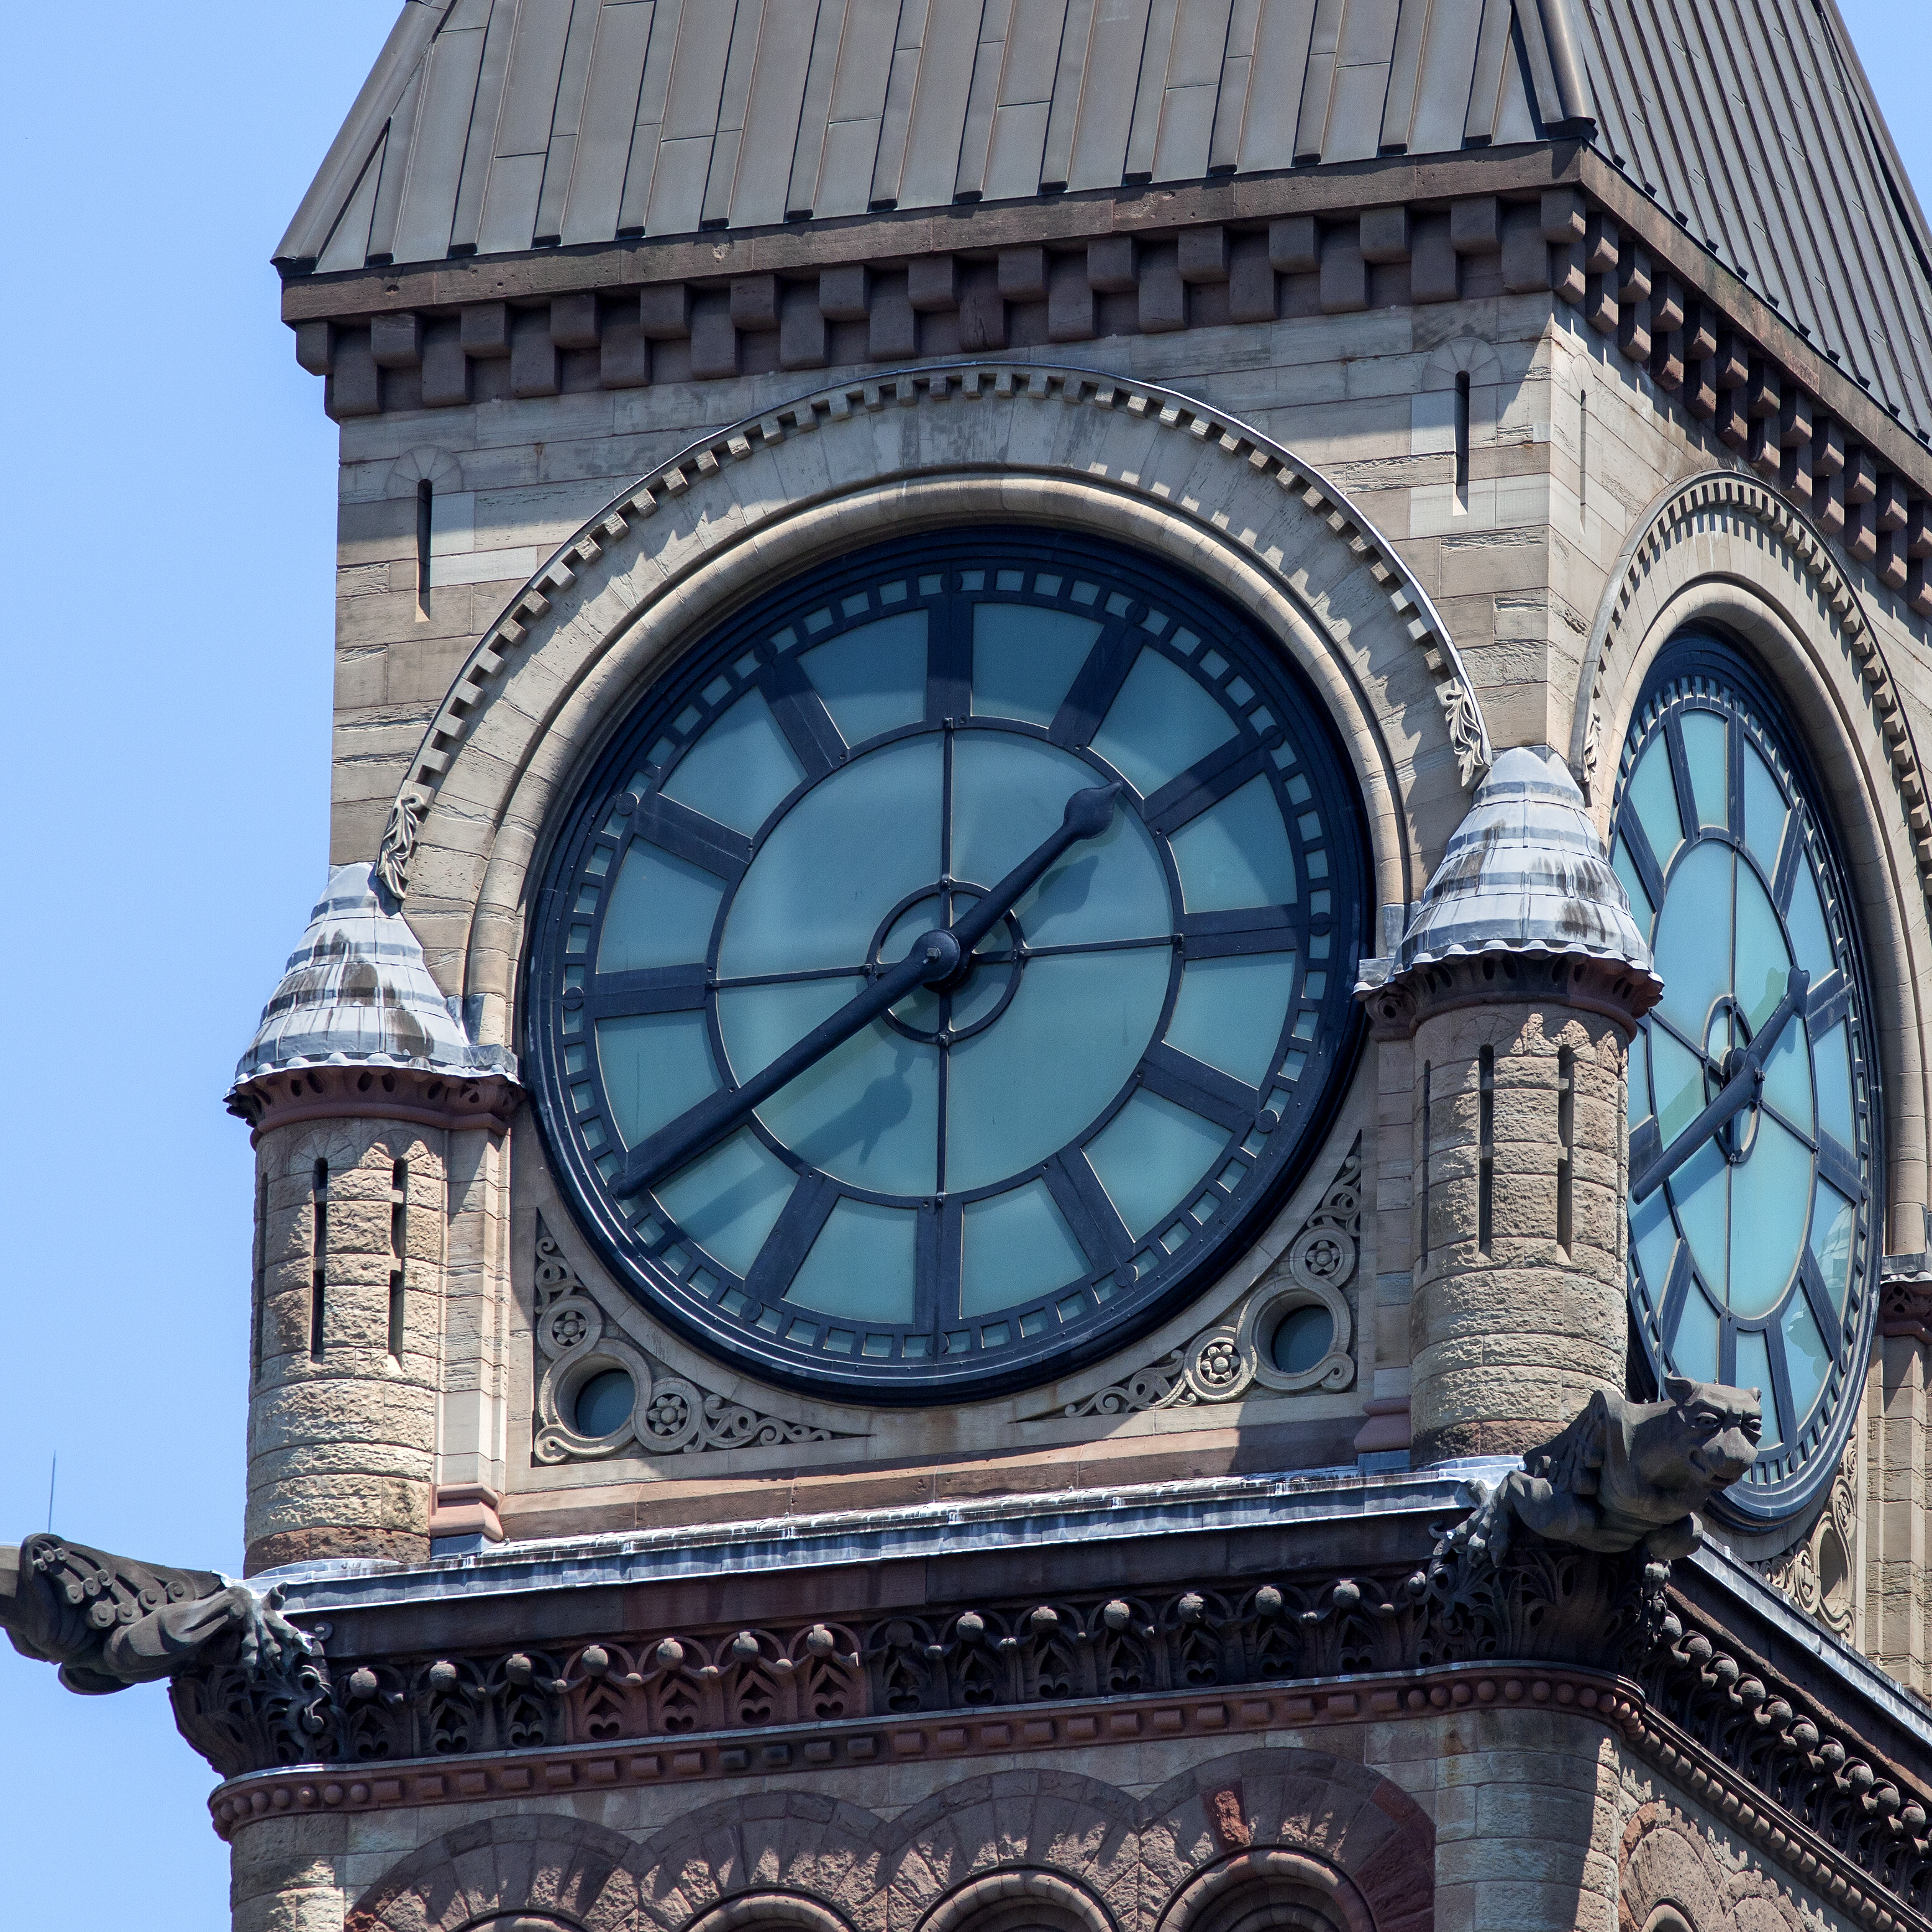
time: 1:39
